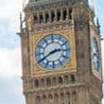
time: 2:40
